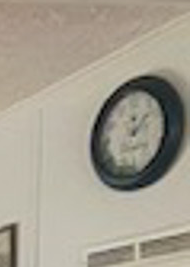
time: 12:07
